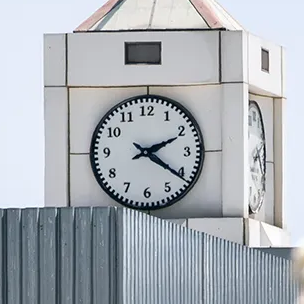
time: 2:21
